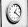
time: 1:20
